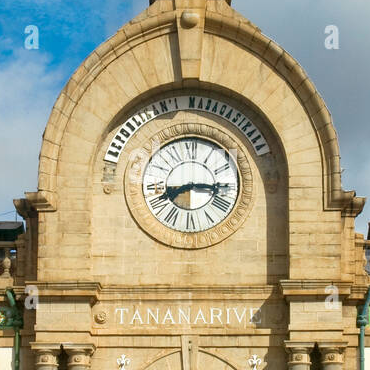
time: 8:15
